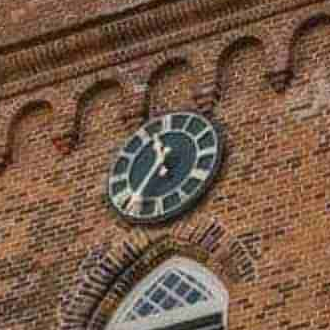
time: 11:35
